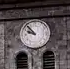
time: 9:53
